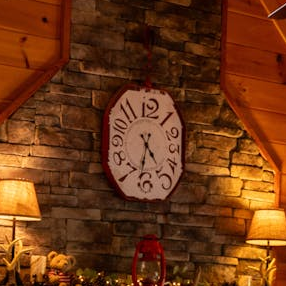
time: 4:31
